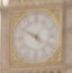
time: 4:49
